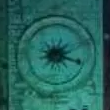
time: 2:18
